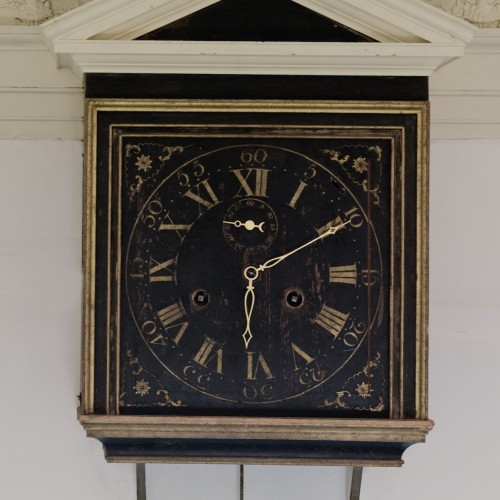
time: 6:10
